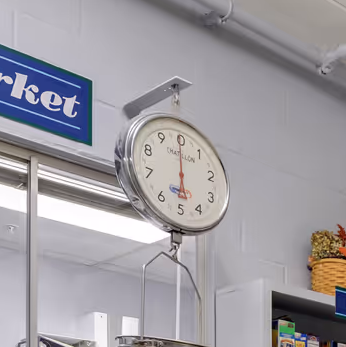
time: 5:59
